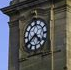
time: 4:39
